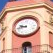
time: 9:42
